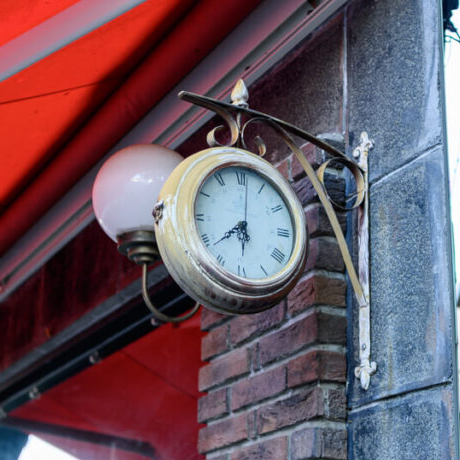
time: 5:38
